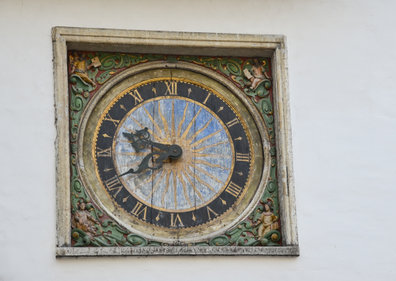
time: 9:40
